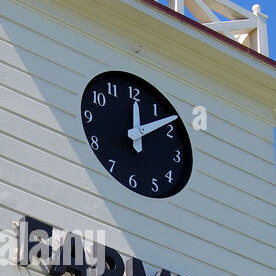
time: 12:07
